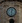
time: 12:28
